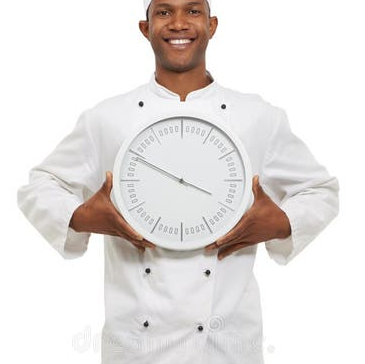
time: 3:49
